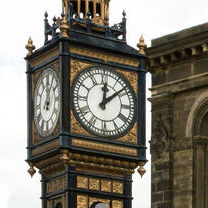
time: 12:08
